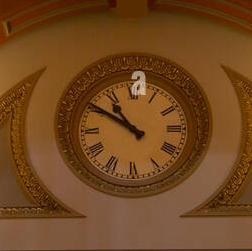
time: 10:50
